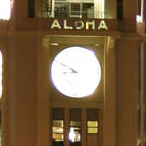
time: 8:49
